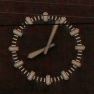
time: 8:04
